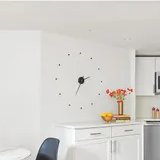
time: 2:34
